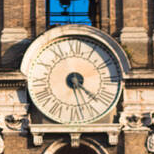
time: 4:28
